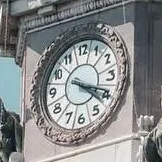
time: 4:19
